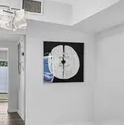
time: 6:00
